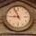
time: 8:56
